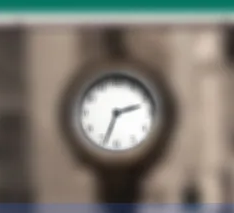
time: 2:33
